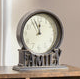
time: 11:55
